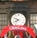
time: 7:49
